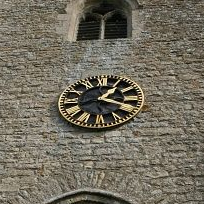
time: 1:18
